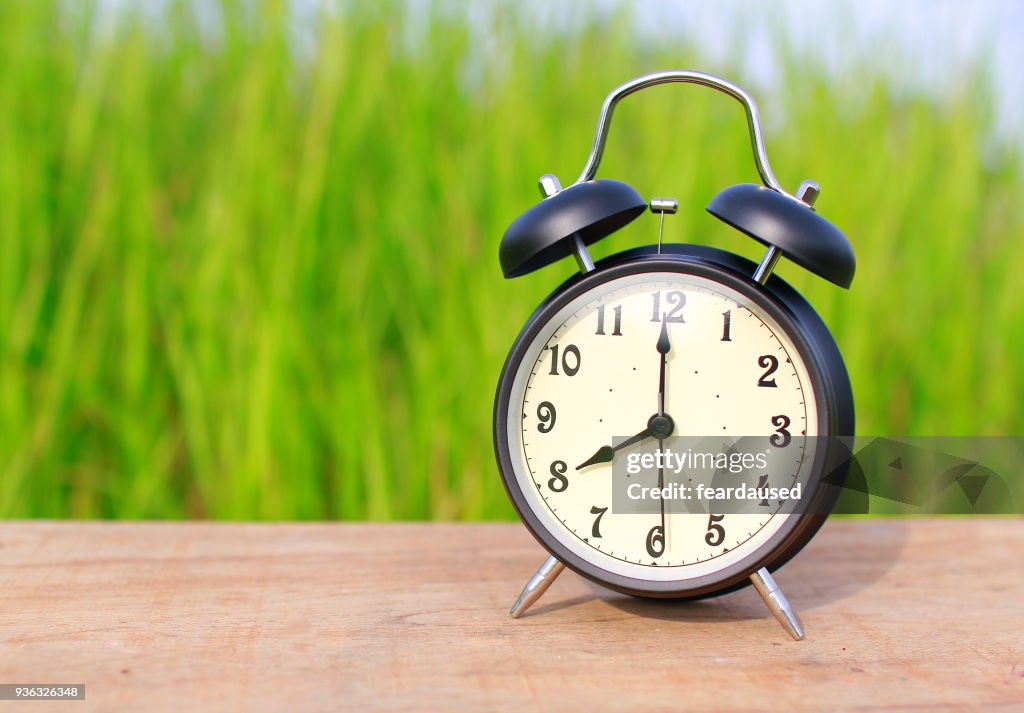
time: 8:00
